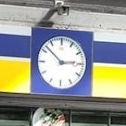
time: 2:52
